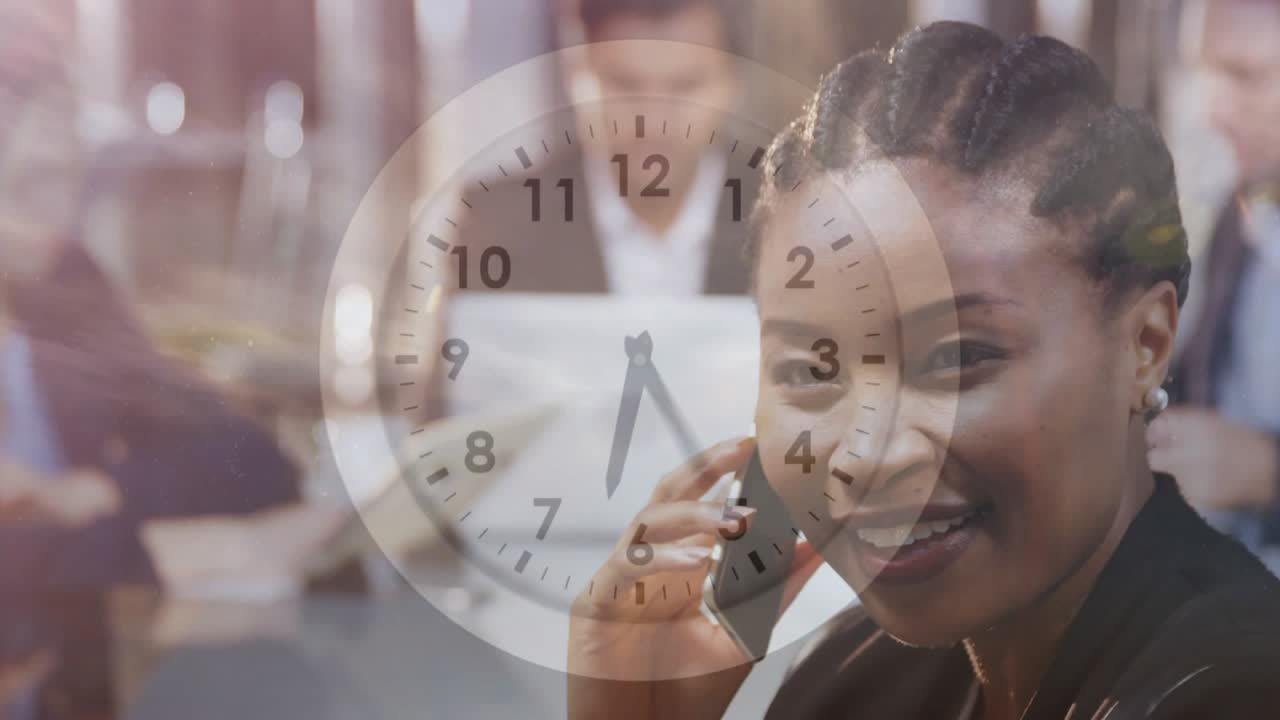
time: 6:23
